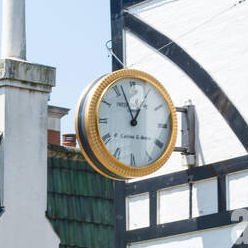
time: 12:56
